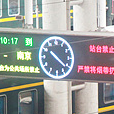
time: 10:21
